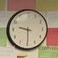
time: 9:30
